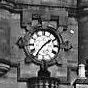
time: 1:36
